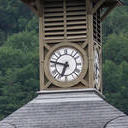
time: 6:47
